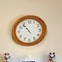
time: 10:53
